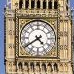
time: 4:39
